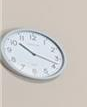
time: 10:17
